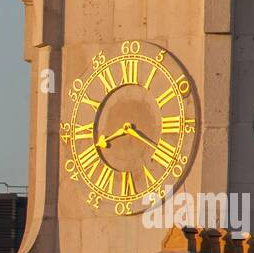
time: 8:18
